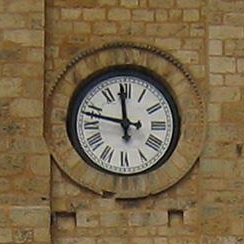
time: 11:47
